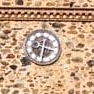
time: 3:32
